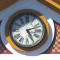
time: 5:11
